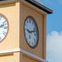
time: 9:12
